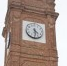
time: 4:29
